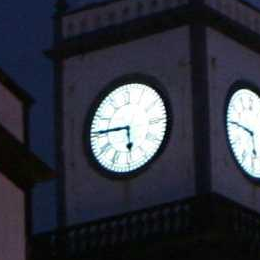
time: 5:45
